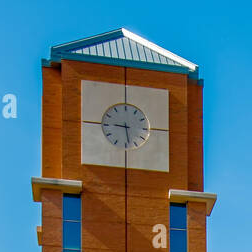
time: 5:45
